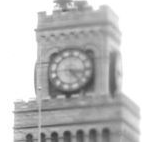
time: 3:23
